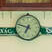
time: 6:47
